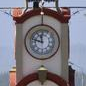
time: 11:47
